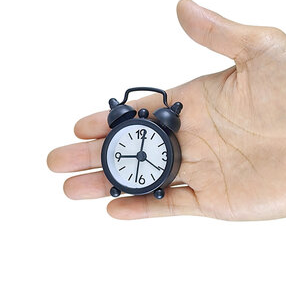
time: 9:01
